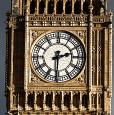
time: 2:30
